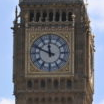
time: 11:48
